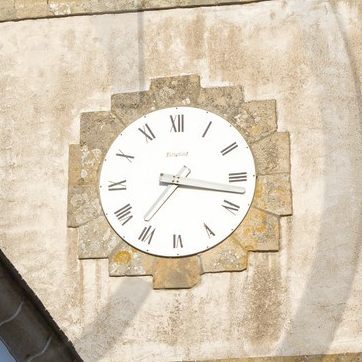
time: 7:17
